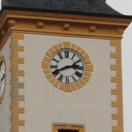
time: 2:40
